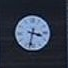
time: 3:32
